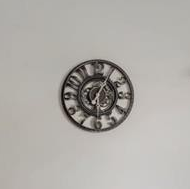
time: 6:05
